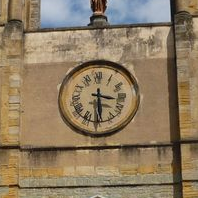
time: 3:29
